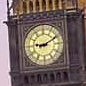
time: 9:10
